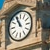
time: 10:55
